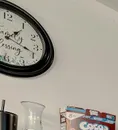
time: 1:18
